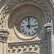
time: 2:59
